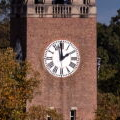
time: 1:59
